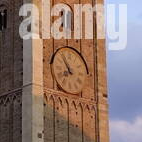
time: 7:54
